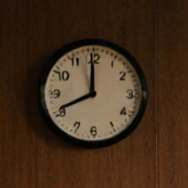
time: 7:59
